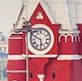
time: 5:49
